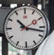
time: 10:17
